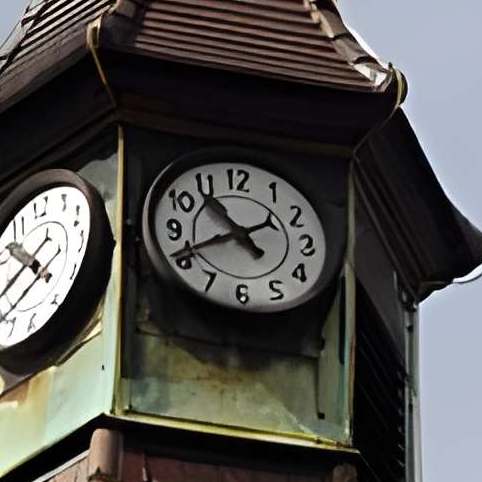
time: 10:40
